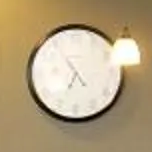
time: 4:34
